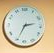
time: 2:34
